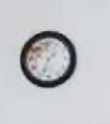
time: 1:33
